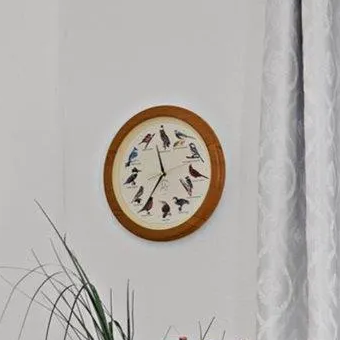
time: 11:36
